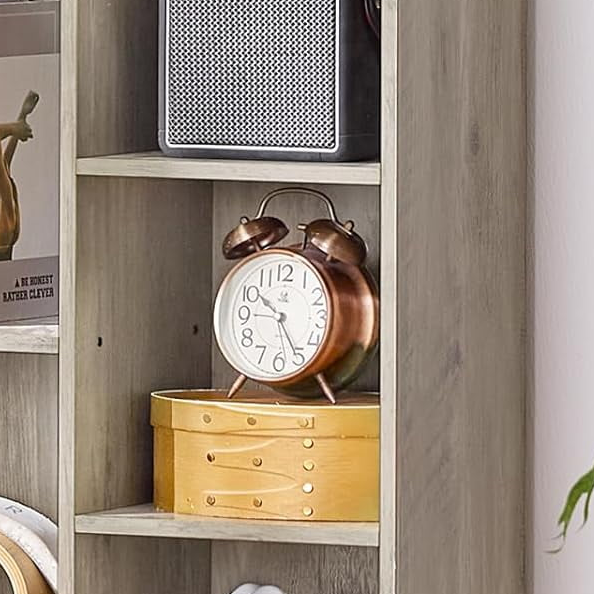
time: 10:25
